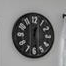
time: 12:28
